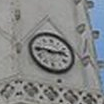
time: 2:46
